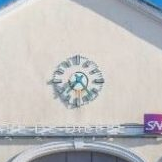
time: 7:23
